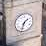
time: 1:32
